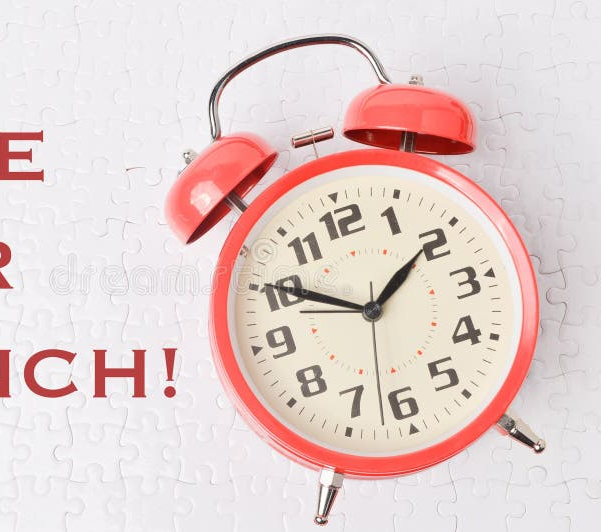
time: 1:50
